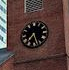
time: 7:27
